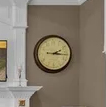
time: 2:16
